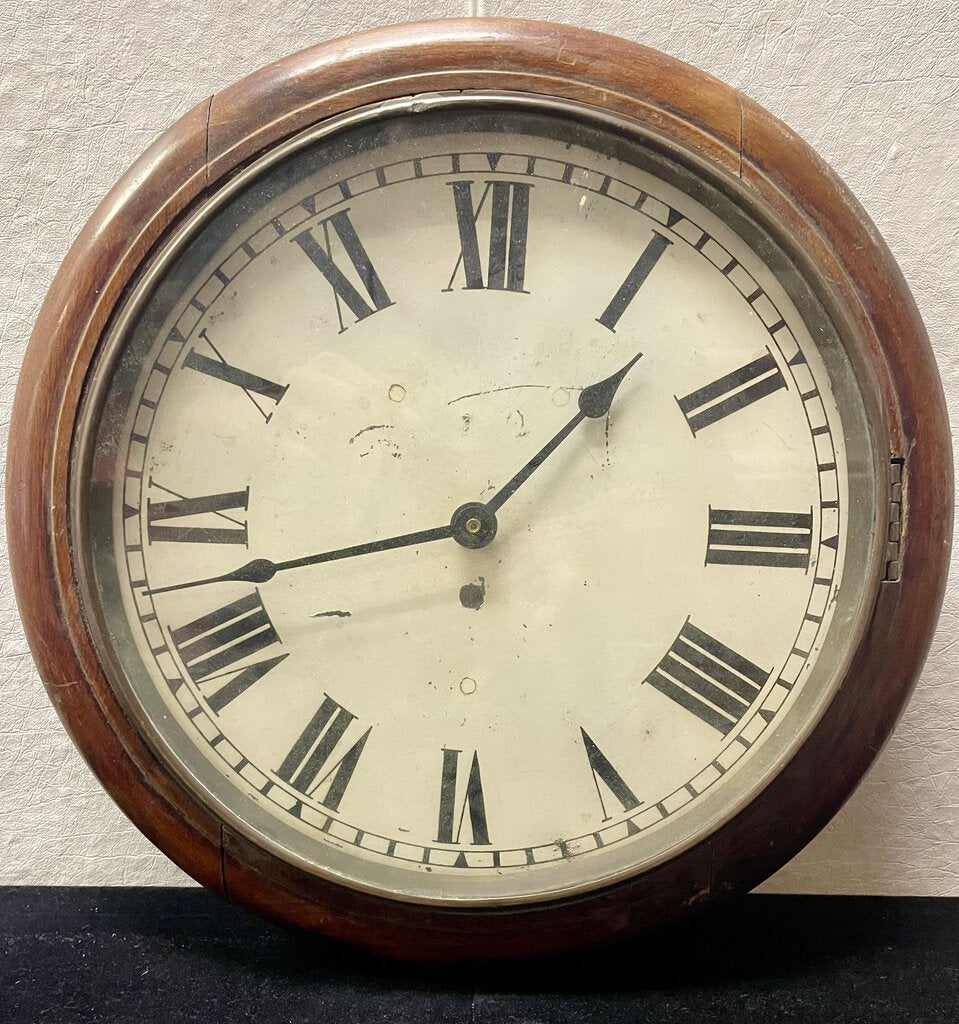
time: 1:42
